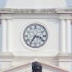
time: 7:17
